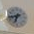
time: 6:42
